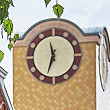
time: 11:33
